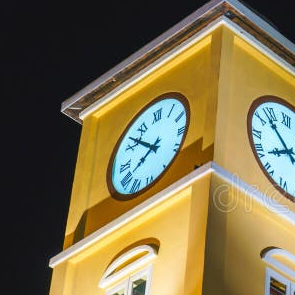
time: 7:51
